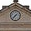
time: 7:37
